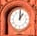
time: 1:01
